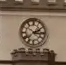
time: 2:15
